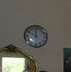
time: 11:50
